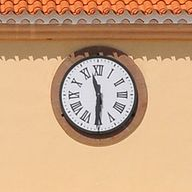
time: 11:30
